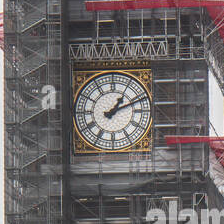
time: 1:11
